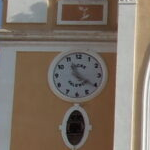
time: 11:20
